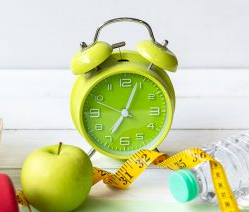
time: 7:03
